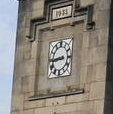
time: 8:44
